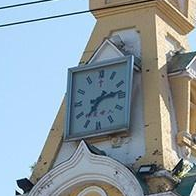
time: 7:13
